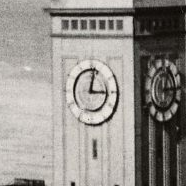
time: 3:02
